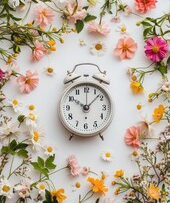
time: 10:07
